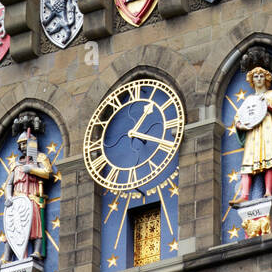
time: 1:18
